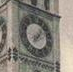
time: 7:06
